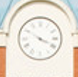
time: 3:50
